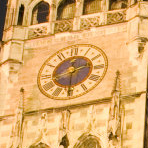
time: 2:30
